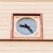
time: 9:23
